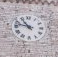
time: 10:47
